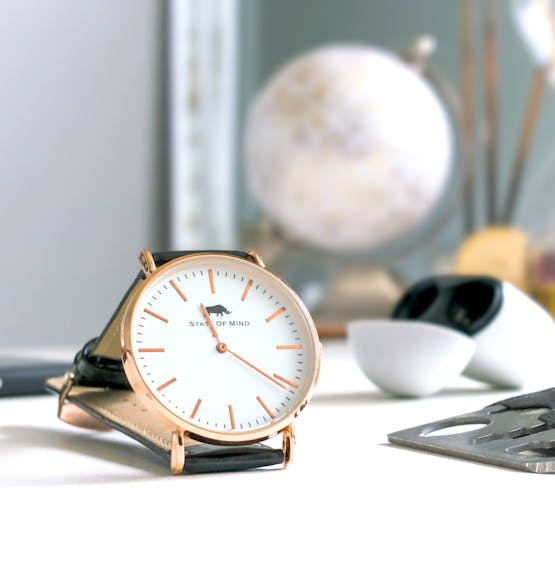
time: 11:20
